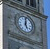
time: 5:00
